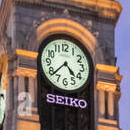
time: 4:38
